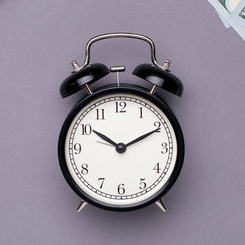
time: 10:10
